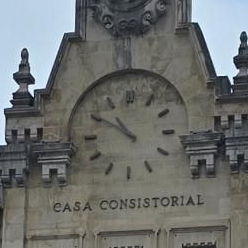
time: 10:50
